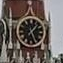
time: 1:26
